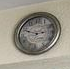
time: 2:48
